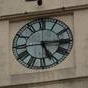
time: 5:15
